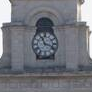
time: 11:18
